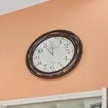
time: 10:59
